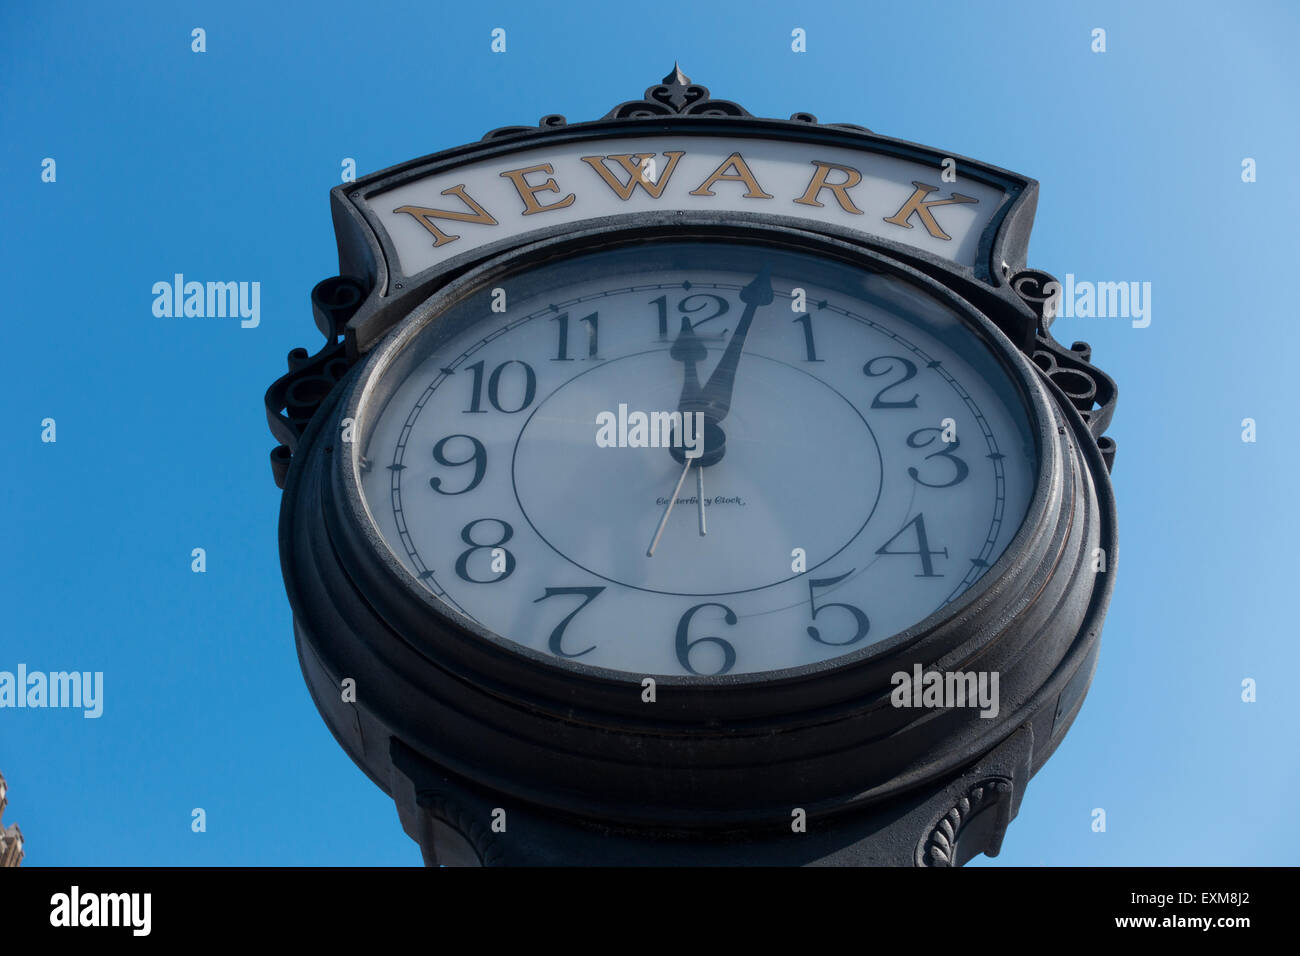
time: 12:02
